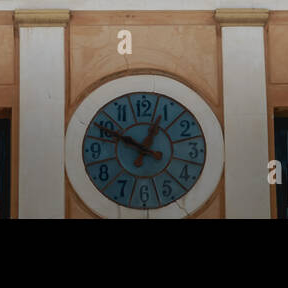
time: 12:49
